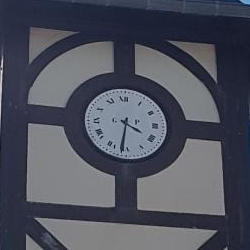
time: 3:31
